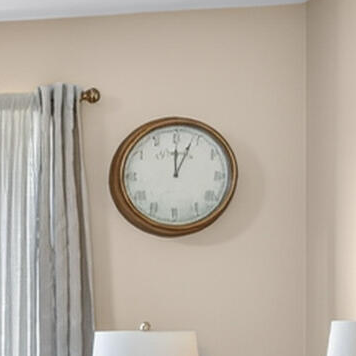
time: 12:03
